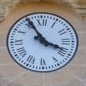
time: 3:54
